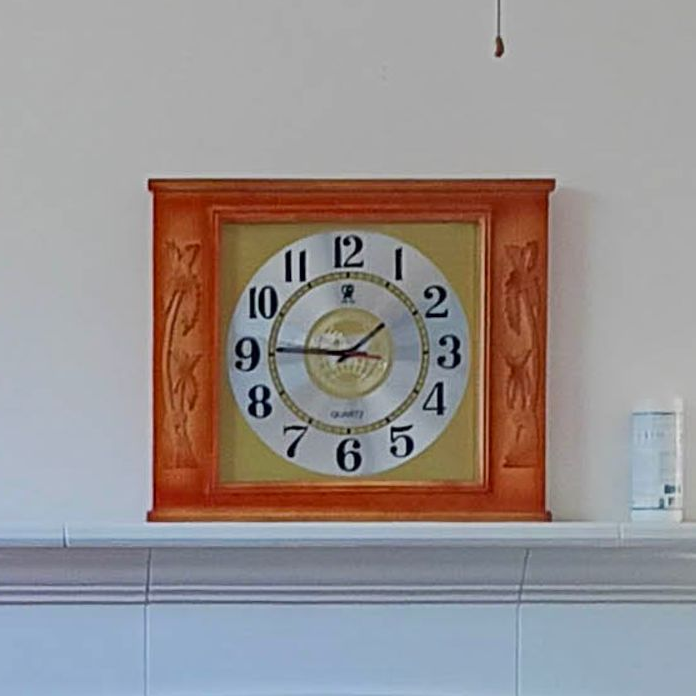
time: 1:45
